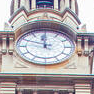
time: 11:48
